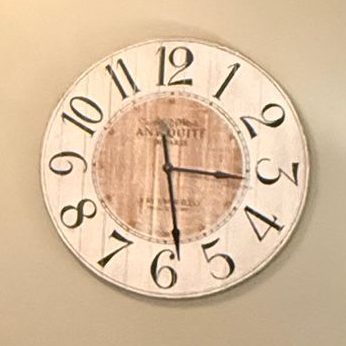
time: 3:28
